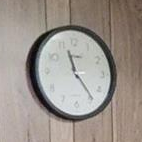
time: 11:23
